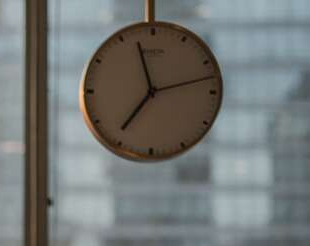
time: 7:12
